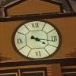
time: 4:16
